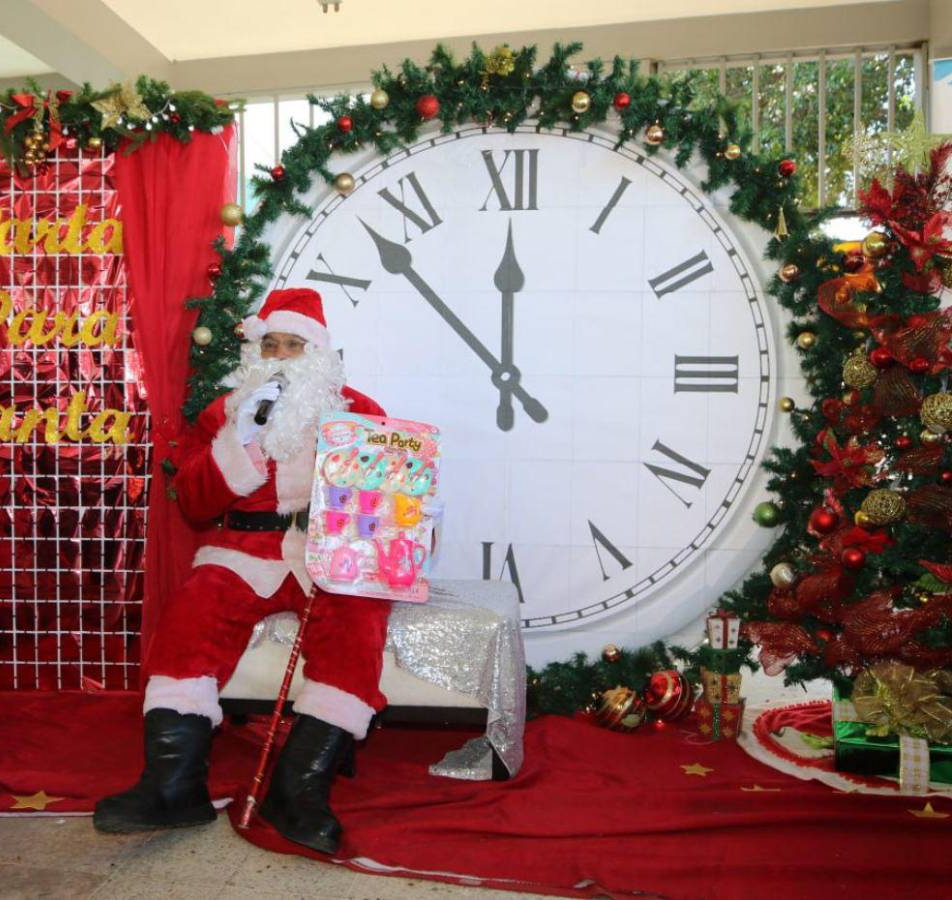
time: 11:52
